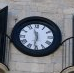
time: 11:31
